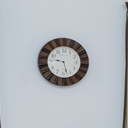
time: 9:27
